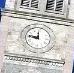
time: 11:46
